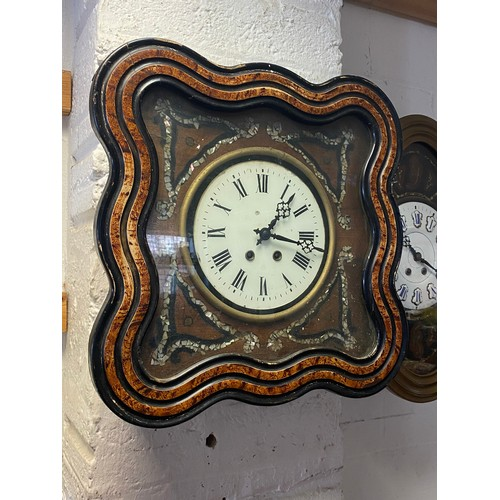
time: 1:16
